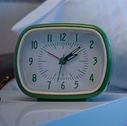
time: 2:08
